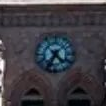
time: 4:34
